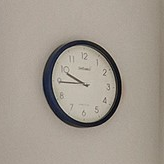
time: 9:44
